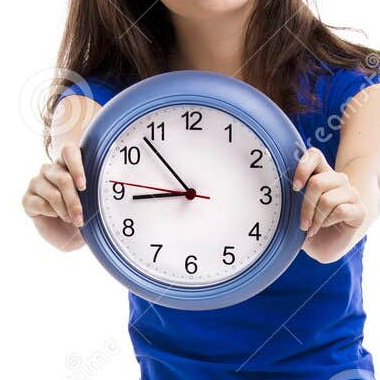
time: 8:53
